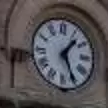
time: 1:26
